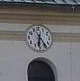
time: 6:24
